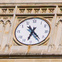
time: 6:23
